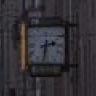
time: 2:32
